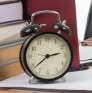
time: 2:38
